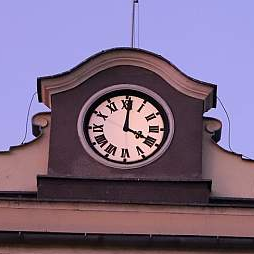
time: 4:00
